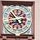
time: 4:52
